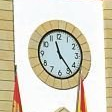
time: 11:23
